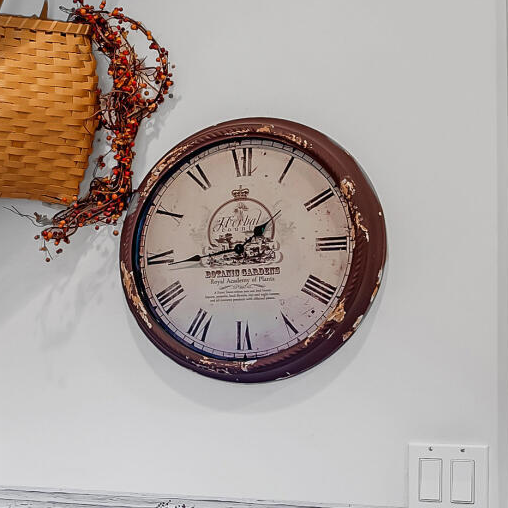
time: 1:43
